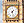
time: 1:27
